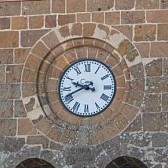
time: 9:40
